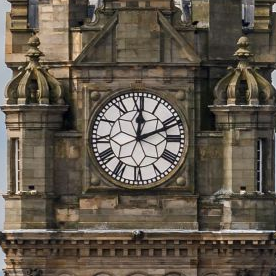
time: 12:11
